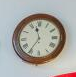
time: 11:35
